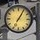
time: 7:05
